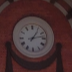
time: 1:12
